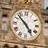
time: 4:52
